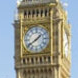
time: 1:39
